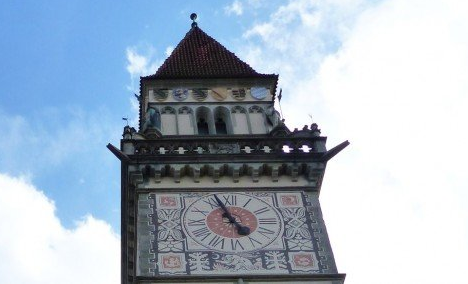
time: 10:56
